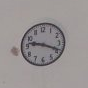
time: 9:18
